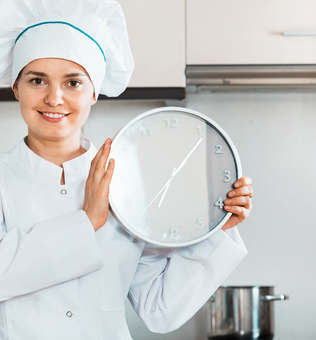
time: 7:06
